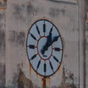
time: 1:09
